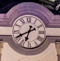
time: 6:40
